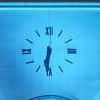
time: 6:31
